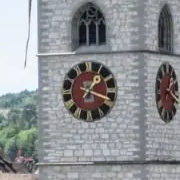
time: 1:18
